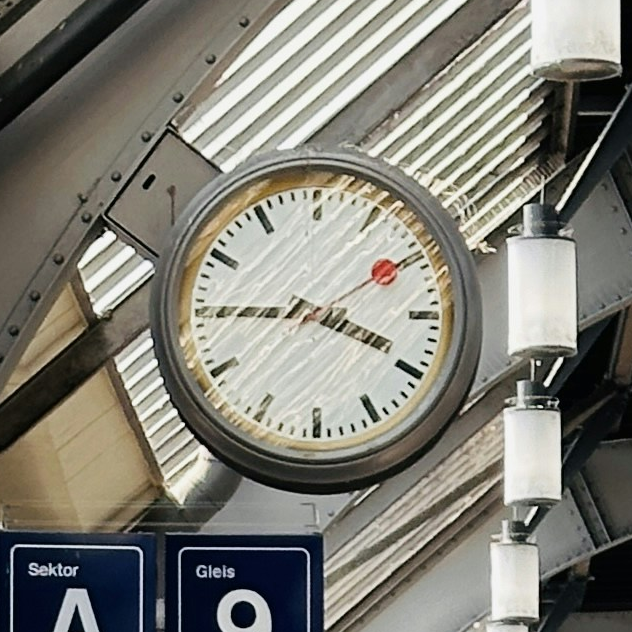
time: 3:45
